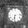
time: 6:13
